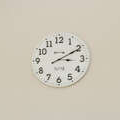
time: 3:10
